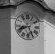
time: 8:25
